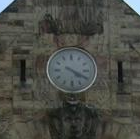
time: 4:19
